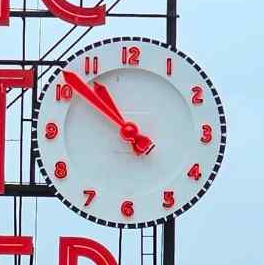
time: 10:51
